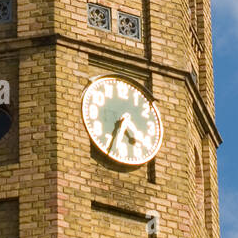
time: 4:34
